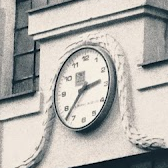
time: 2:37
